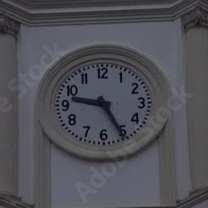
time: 9:25
